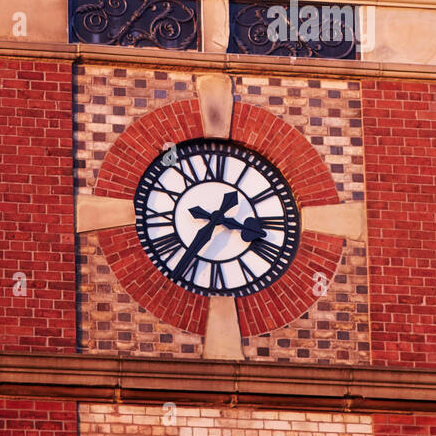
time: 3:36
